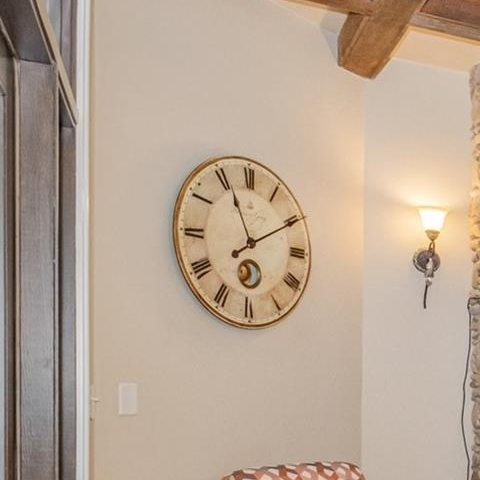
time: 11:10
